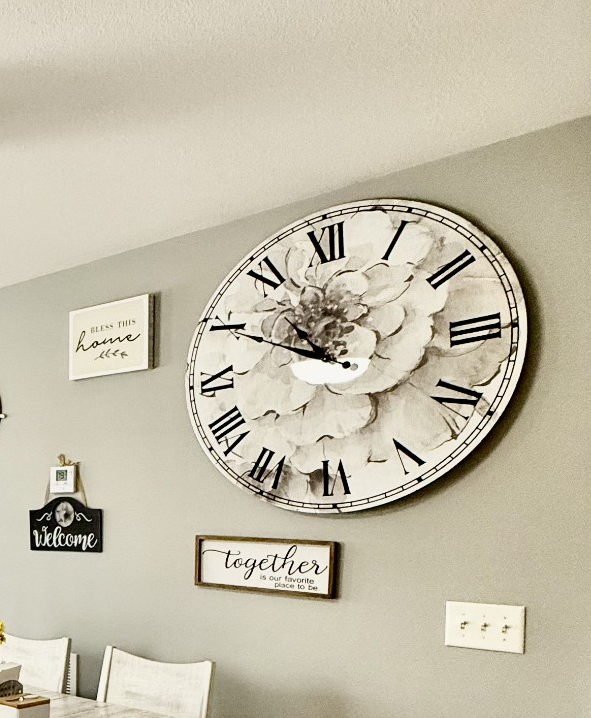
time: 10:49
